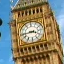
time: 3:43
